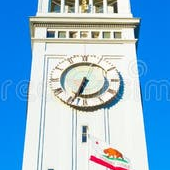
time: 6:33
